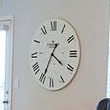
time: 4:34
